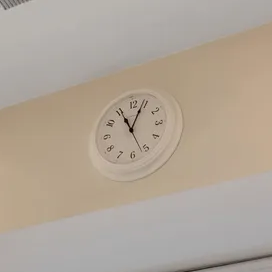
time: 11:03
